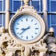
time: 8:38
